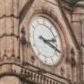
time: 2:18
